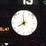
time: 7:59
